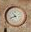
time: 10:41
